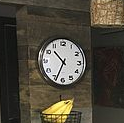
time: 10:34
